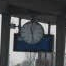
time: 11:28
